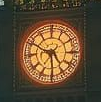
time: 5:49
